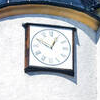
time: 12:49
